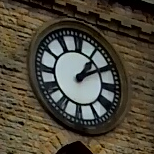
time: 1:09
